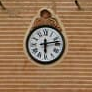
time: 6:13
